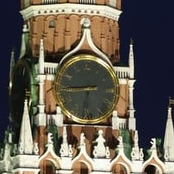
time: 6:44
